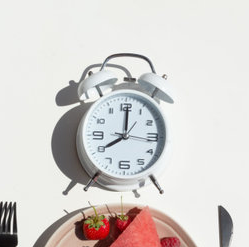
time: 8:00
